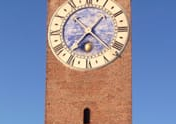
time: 1:36
